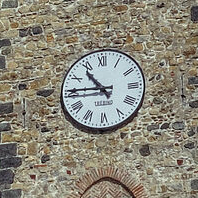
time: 10:45
